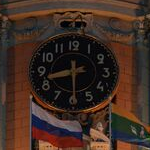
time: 8:29
